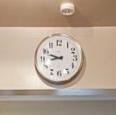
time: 8:48
